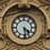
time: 4:28
